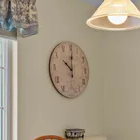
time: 10:00
